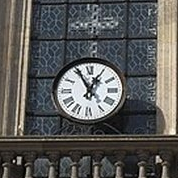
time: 12:55
